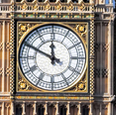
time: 11:49
